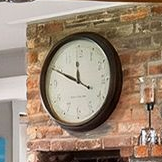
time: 11:49
